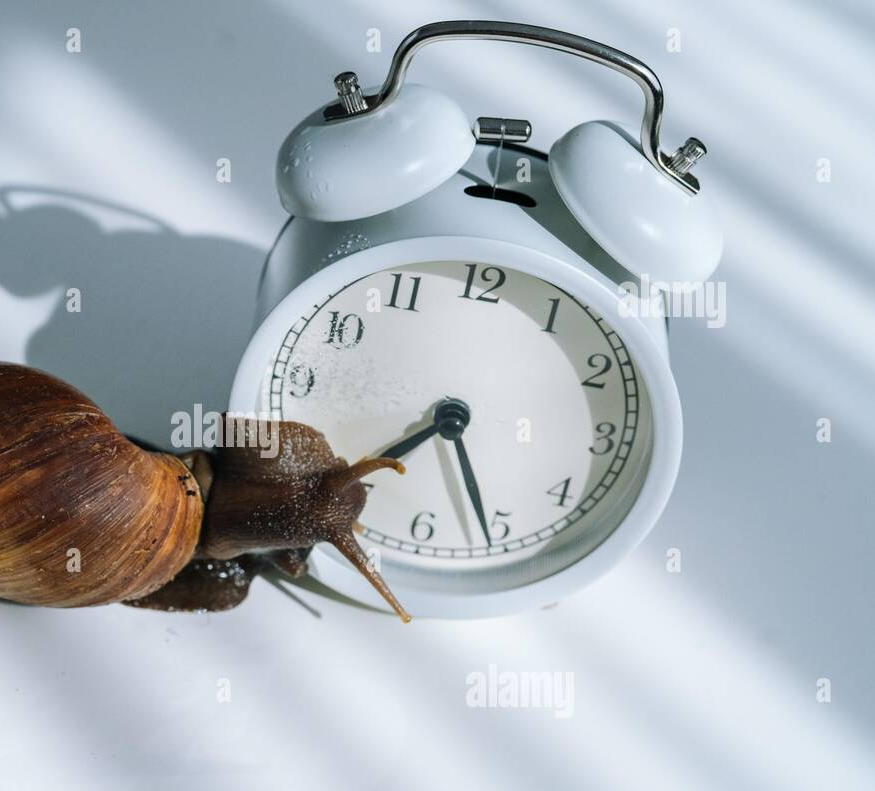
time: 7:25
